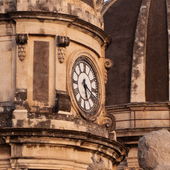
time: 5:18
